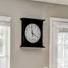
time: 3:58
